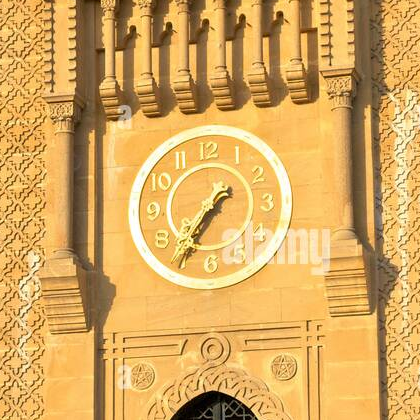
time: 1:36
